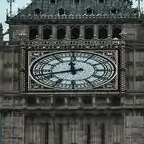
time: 11:42
